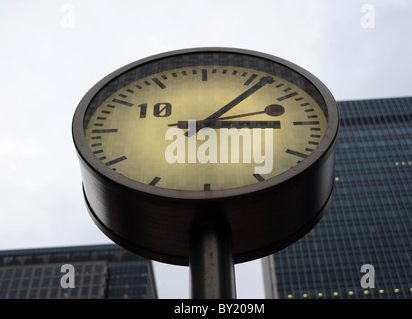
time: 3:06
